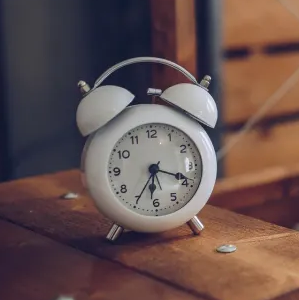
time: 6:18
